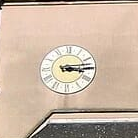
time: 3:13
